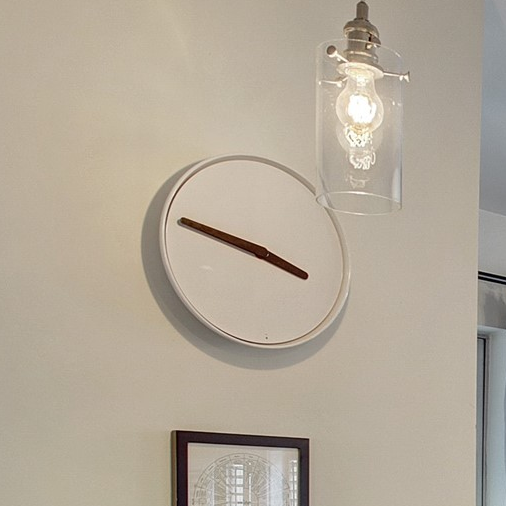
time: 3:47
